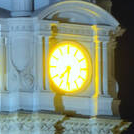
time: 7:31
